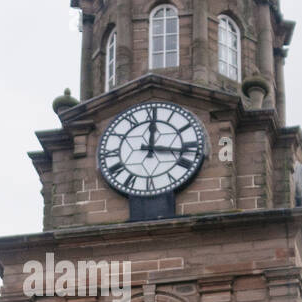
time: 12:16
